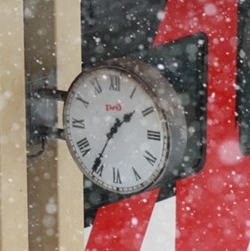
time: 1:35
